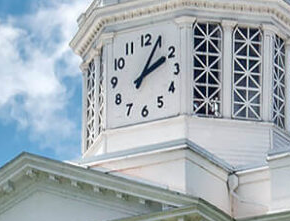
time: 2:04
